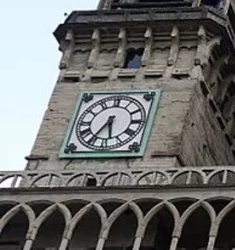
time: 5:35
